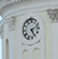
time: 5:12
